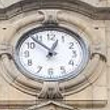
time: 12:52
